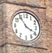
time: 3:54
